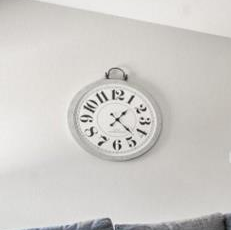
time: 1:22
